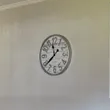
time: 11:38
